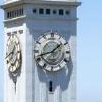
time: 1:42
